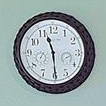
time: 11:29
